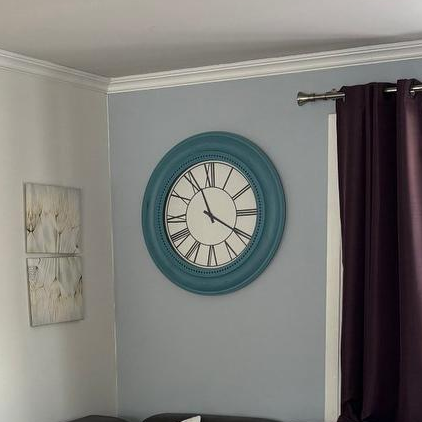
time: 11:19
